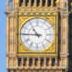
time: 10:45
